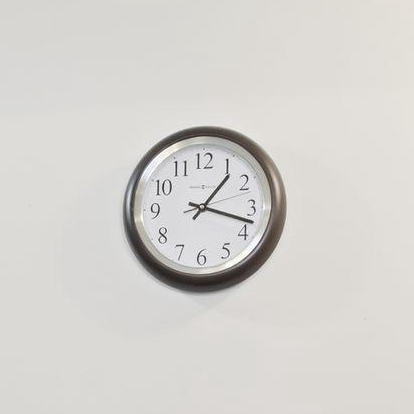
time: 1:17
